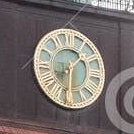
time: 1:30
